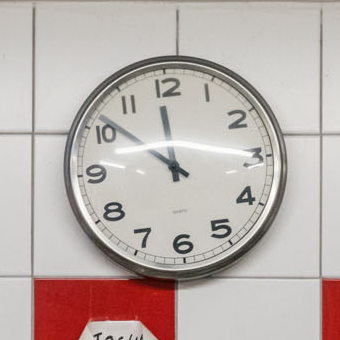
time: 11:51
